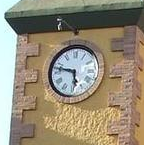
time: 5:47
